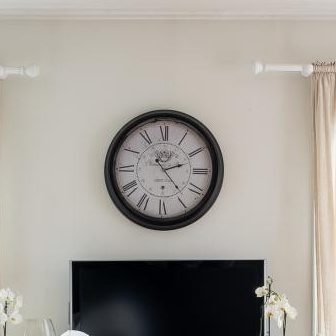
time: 2:23
